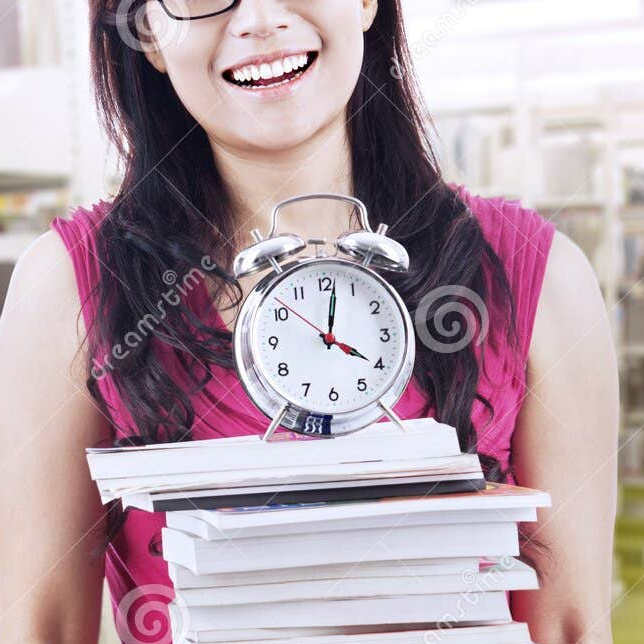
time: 4:01
